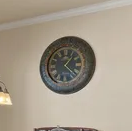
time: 1:22
